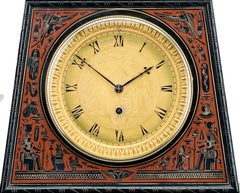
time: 1:51
